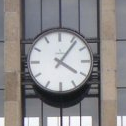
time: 4:06
